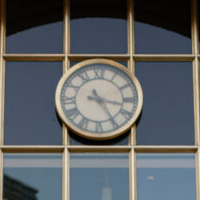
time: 3:24
